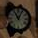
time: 11:04
